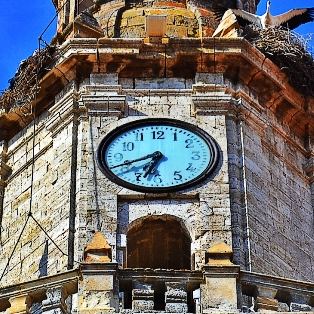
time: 6:41
